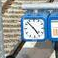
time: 4:52
